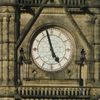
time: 4:57
